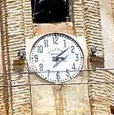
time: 3:08
